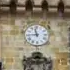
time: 11:44
